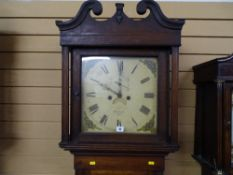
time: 10:00
